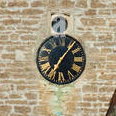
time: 7:07
